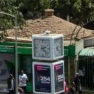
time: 2:23
